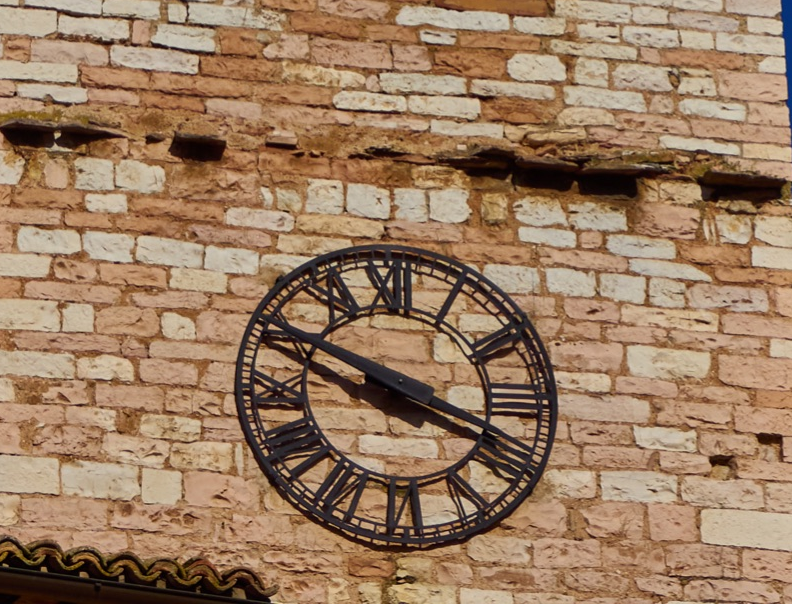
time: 3:48
